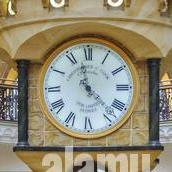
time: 11:22
